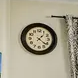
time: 1:21
